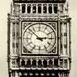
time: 2:52
